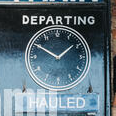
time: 1:50
